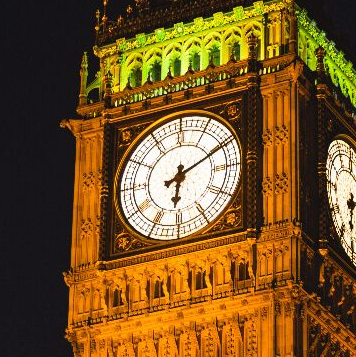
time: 6:10
